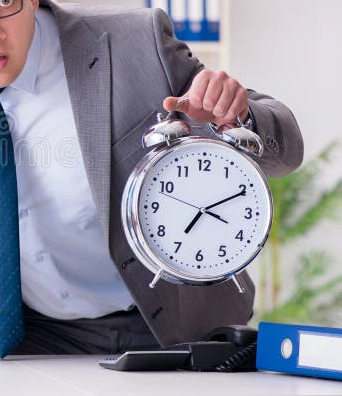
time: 7:10
